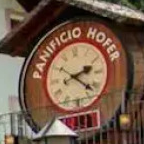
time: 2:21
